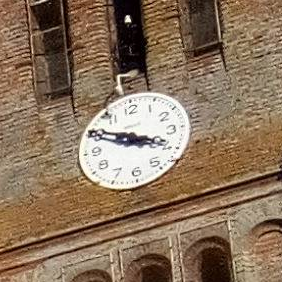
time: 3:50
